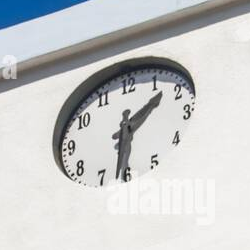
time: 1:31
